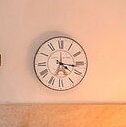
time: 4:16
